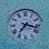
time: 7:17
